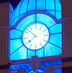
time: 7:52
